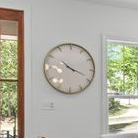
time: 10:18
